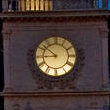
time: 8:51
